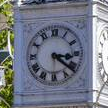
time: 3:21
